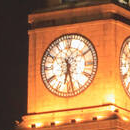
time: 6:27
